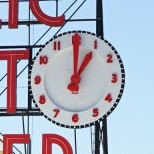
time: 1:00
